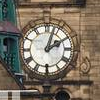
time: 2:03
